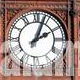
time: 2:03
